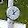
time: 11:07
